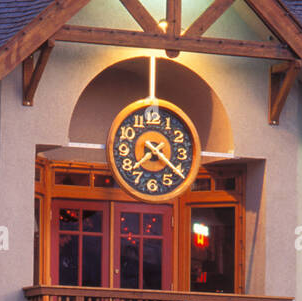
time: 7:21
